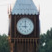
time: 8:59
